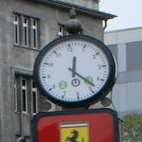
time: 12:23
